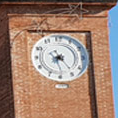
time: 7:23
